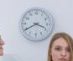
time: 3:40
